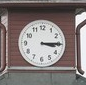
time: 3:14
